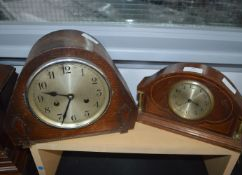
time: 9:33
